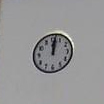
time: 12:01
